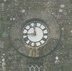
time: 11:44
